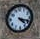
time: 4:18
